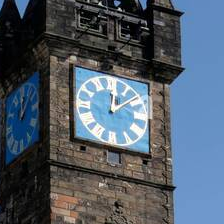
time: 12:08
